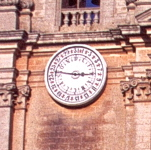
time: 2:46
